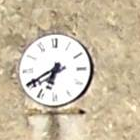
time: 6:40
